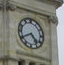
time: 4:40
